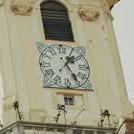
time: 1:24
